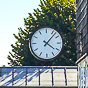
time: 4:07
